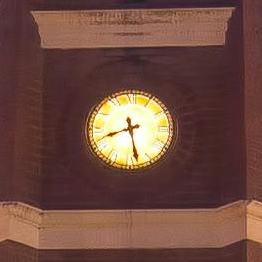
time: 8:28
